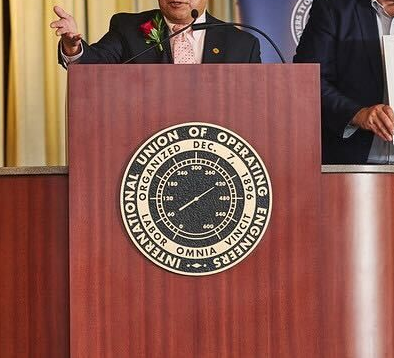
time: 1:39
